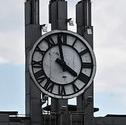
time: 3:58
